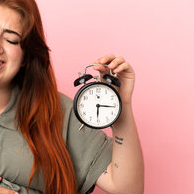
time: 6:15
